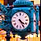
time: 4:25
